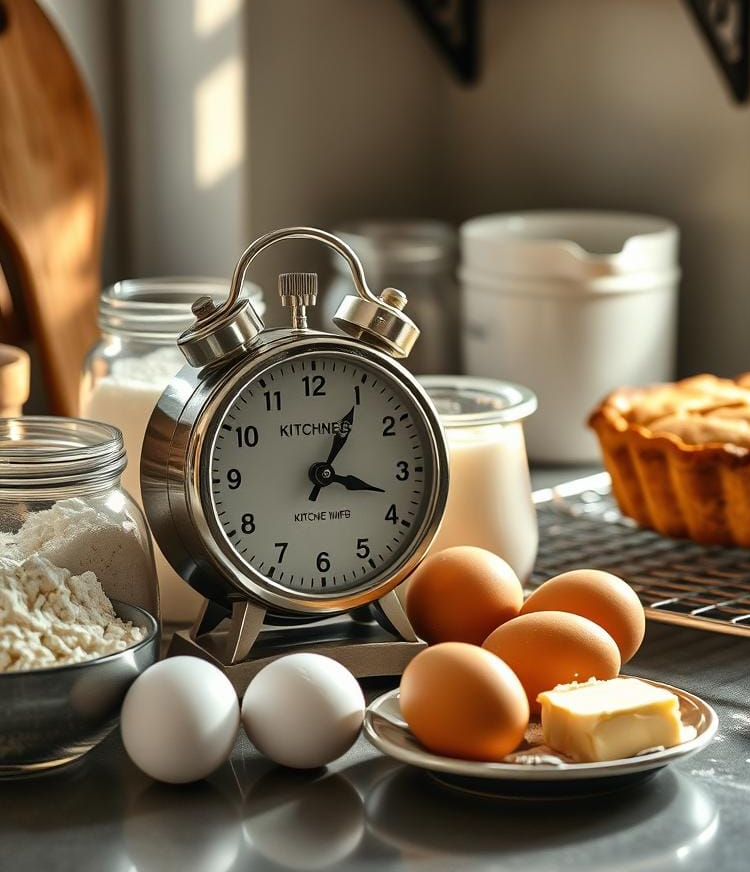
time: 1:17
